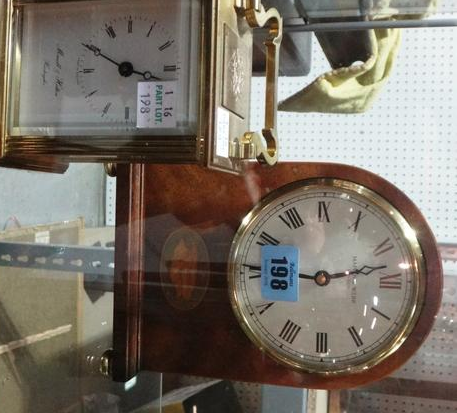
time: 9:13
